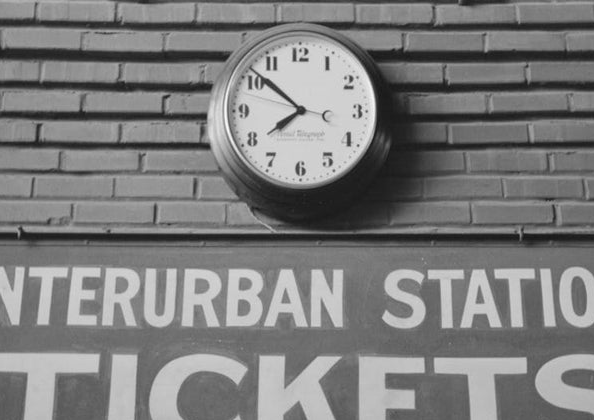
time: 7:51
